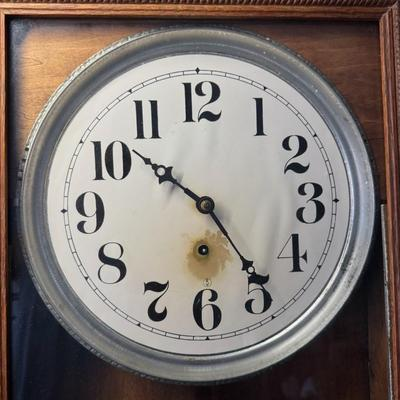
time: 10:24
